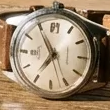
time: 6:54
